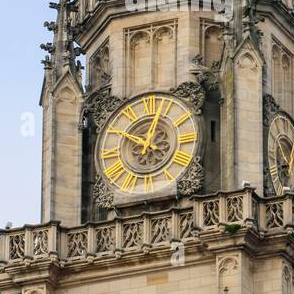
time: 10:02
